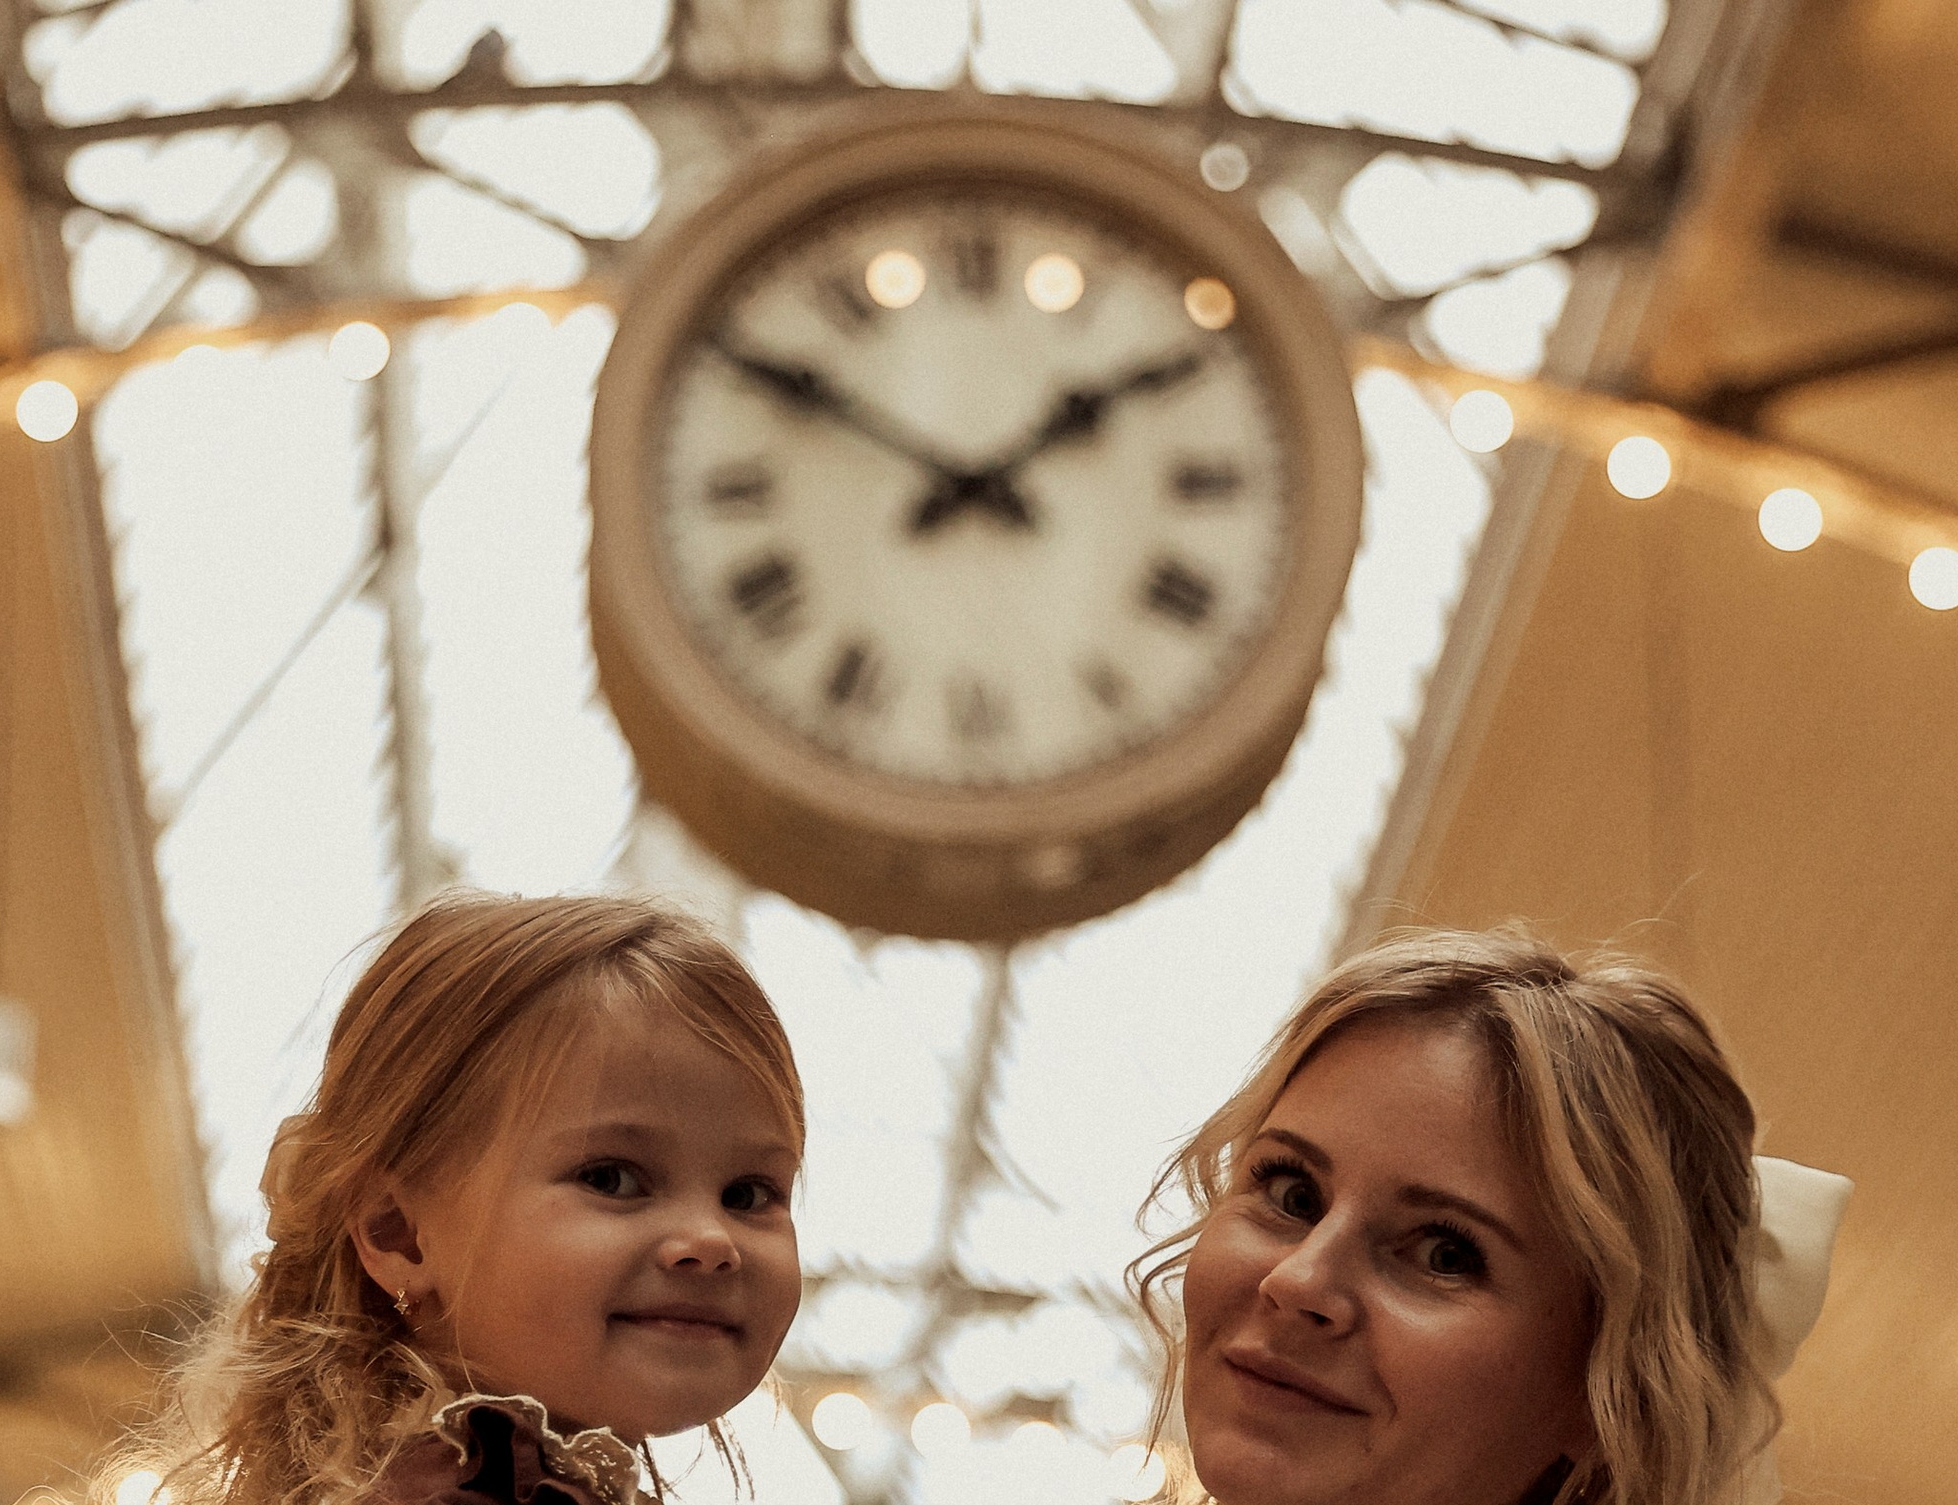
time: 1:50
